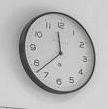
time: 11:37
